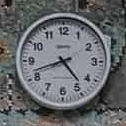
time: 4:42
